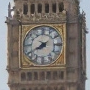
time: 7:40
